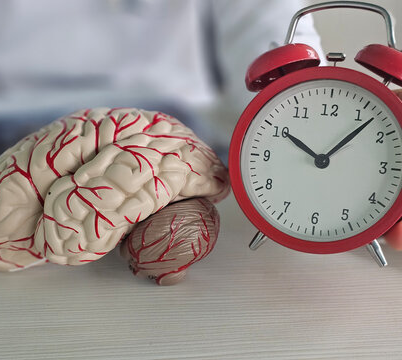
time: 10:07
